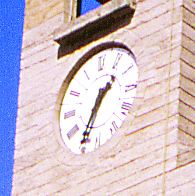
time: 1:35
